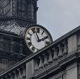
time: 1:57
